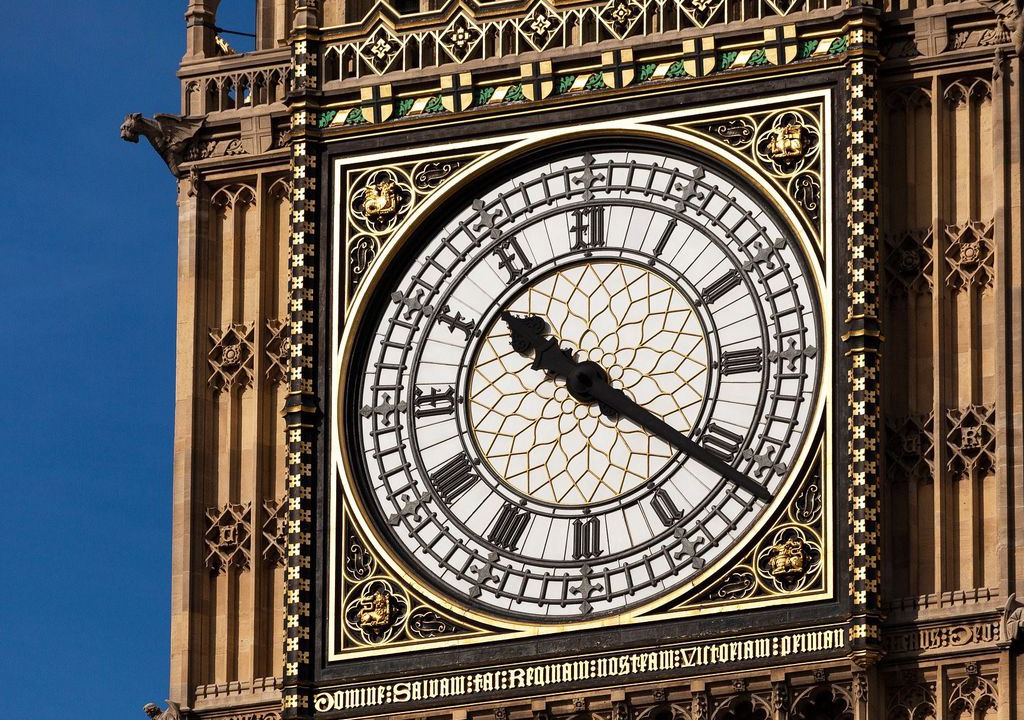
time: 10:20
